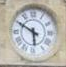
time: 5:49
